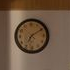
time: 7:09
